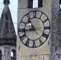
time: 10:43
